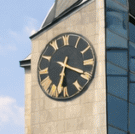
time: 6:18
